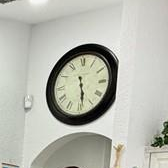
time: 5:28
